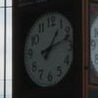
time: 1:11
